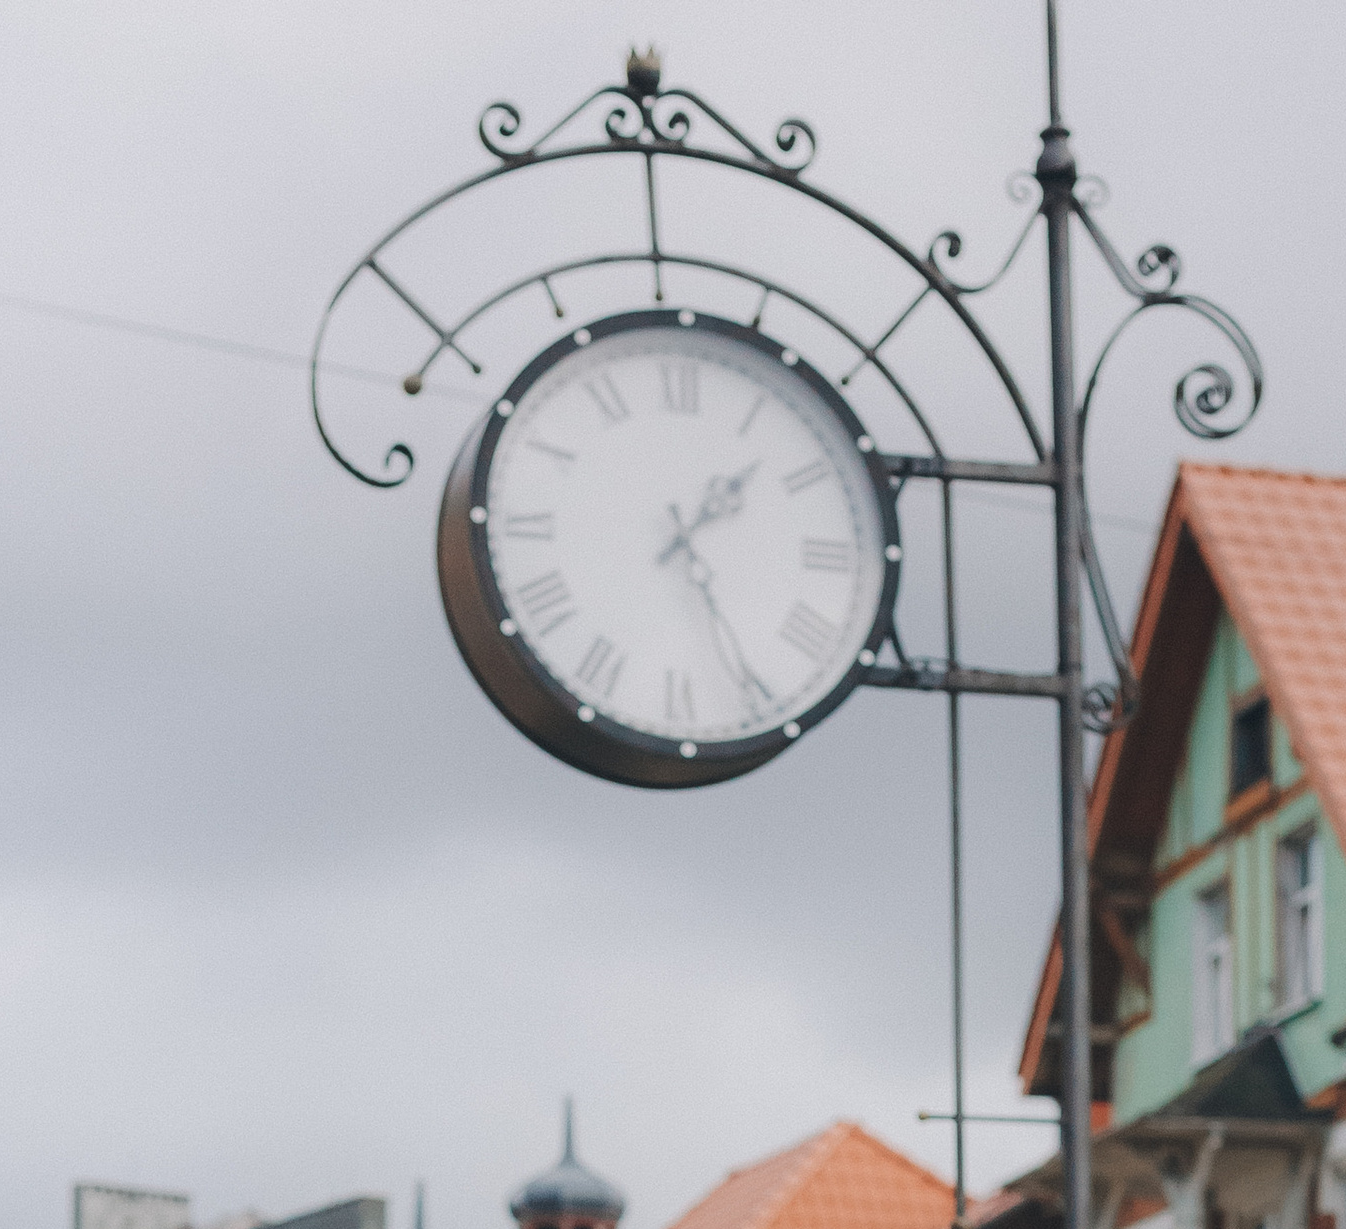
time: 1:25
